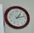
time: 1:12
